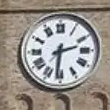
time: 2:31
